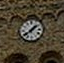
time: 1:39
